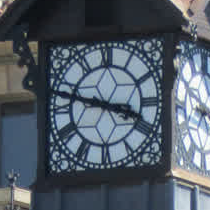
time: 3:47
